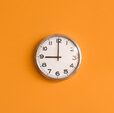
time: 8:59
